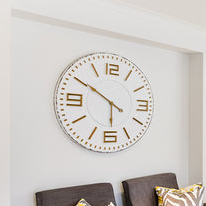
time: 5:50
